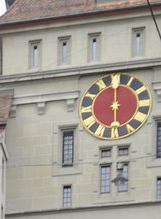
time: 5:59
